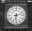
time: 6:12
